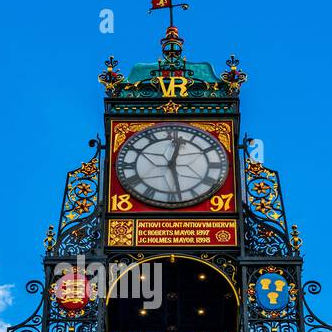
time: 12:27
